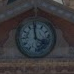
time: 3:58
